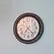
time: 7:22
